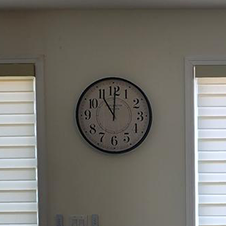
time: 11:00
